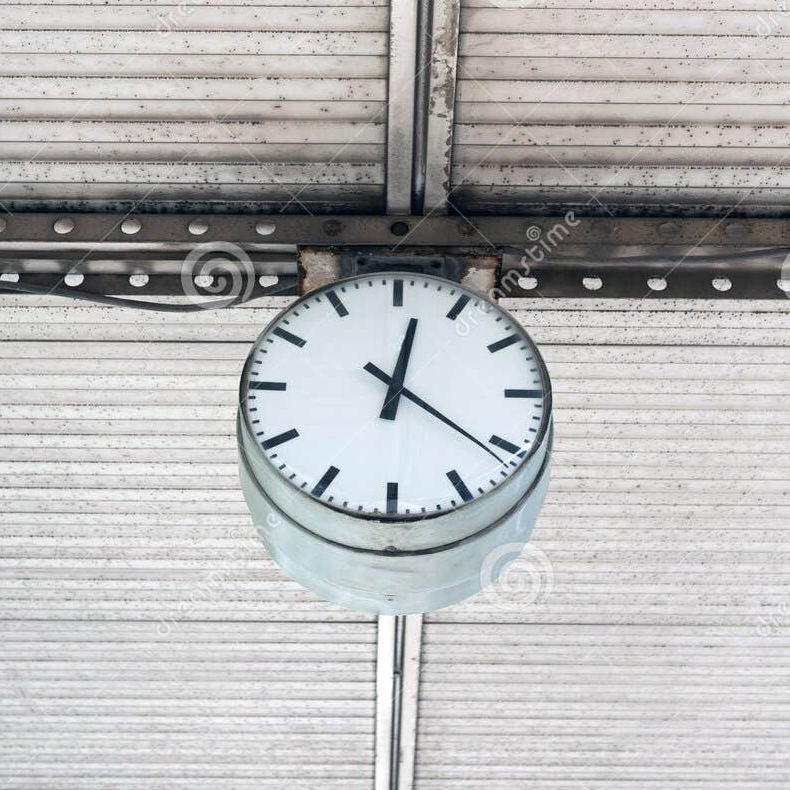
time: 12:21
